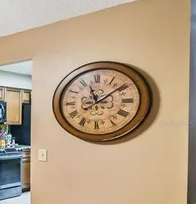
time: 11:08
